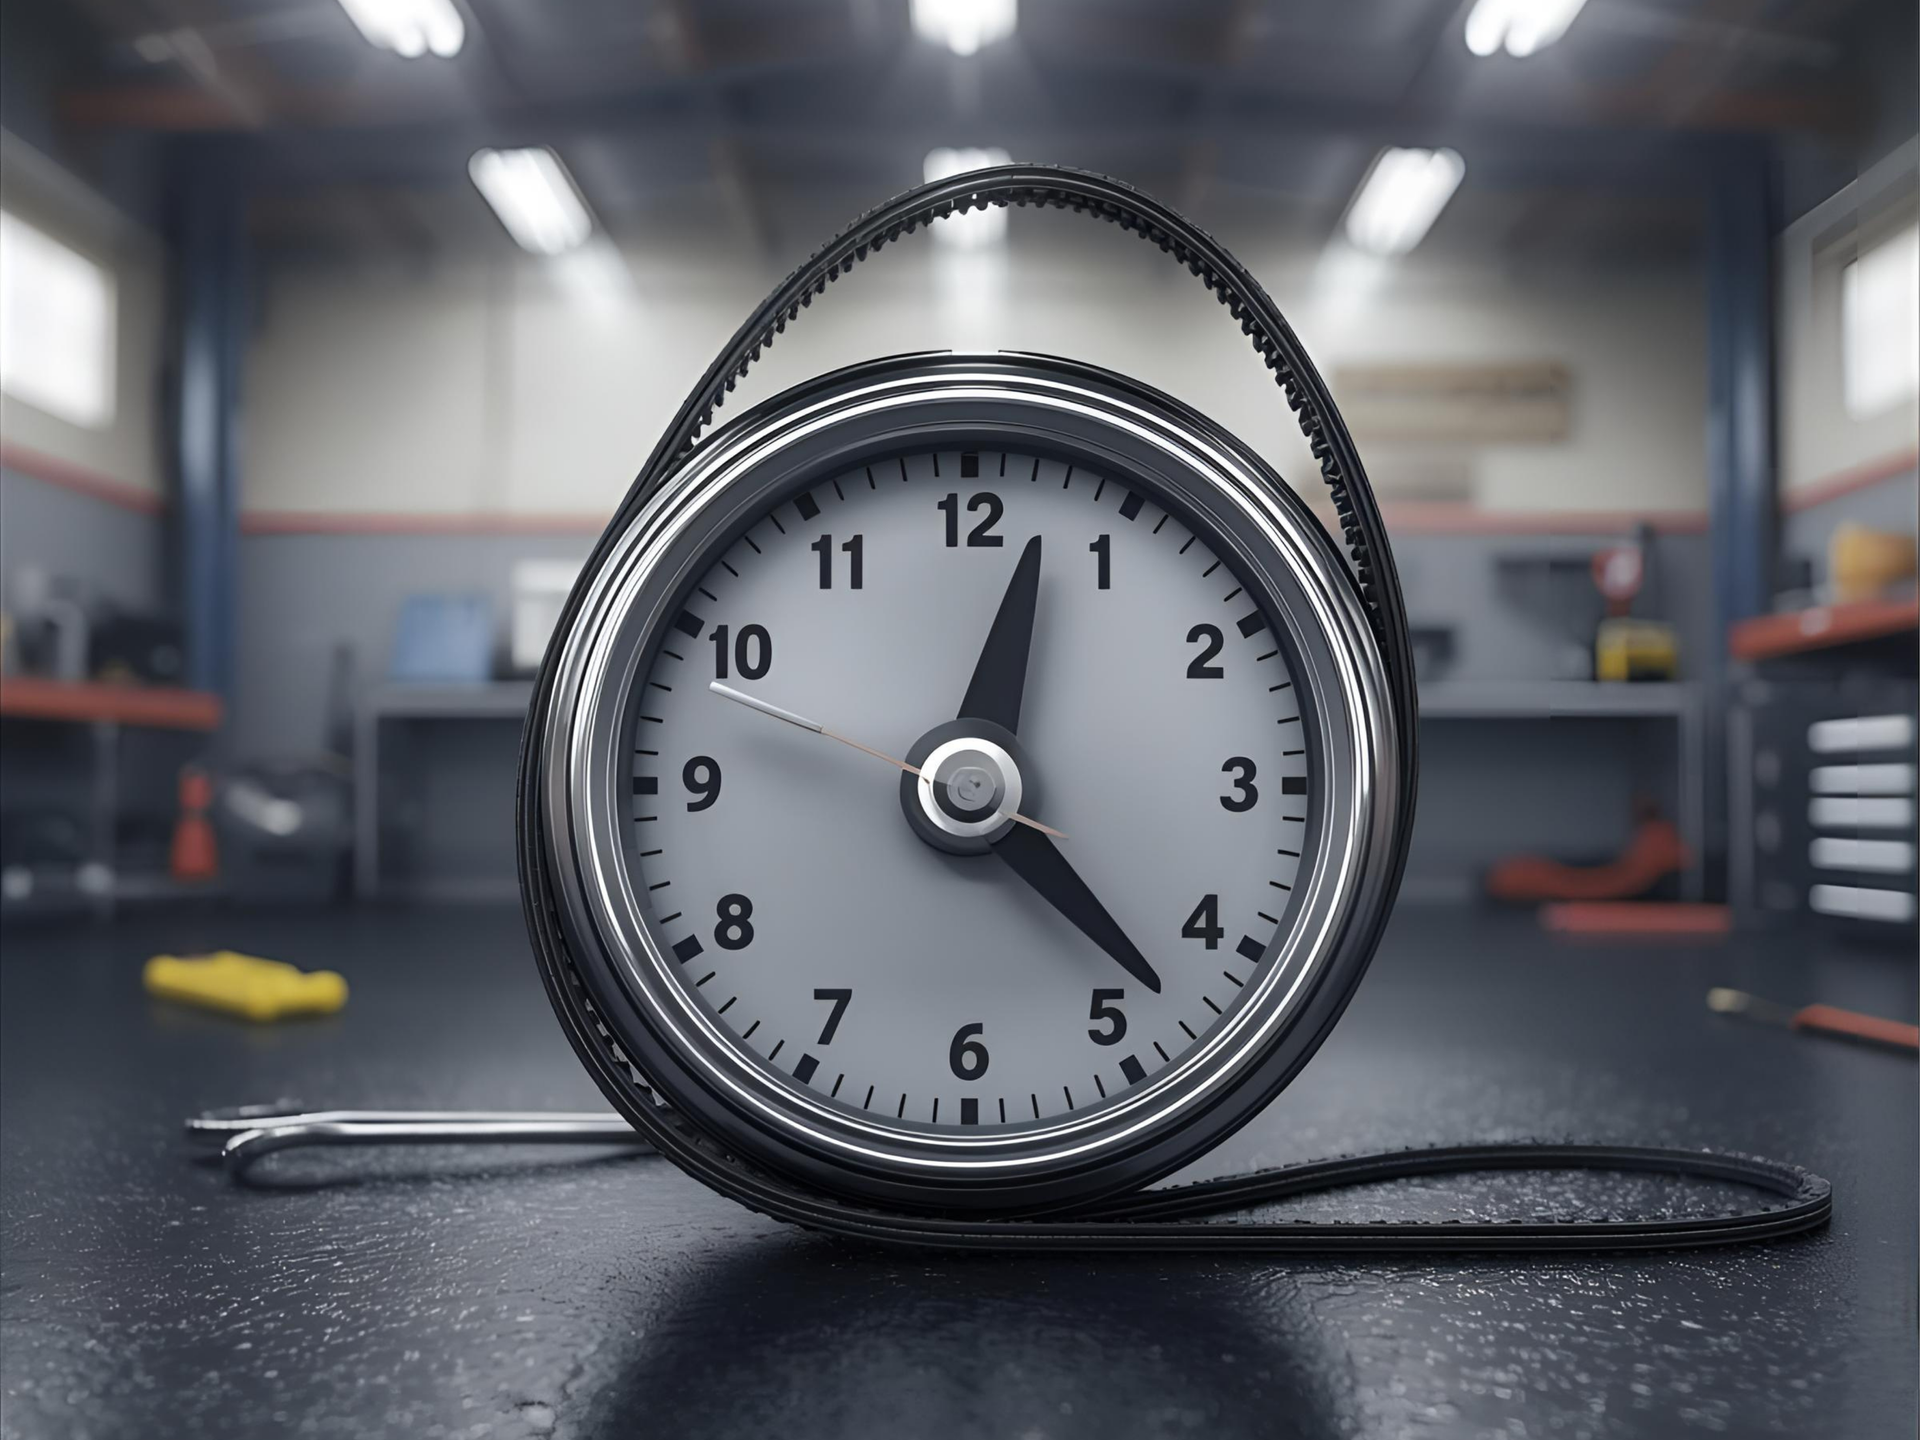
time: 12:22
